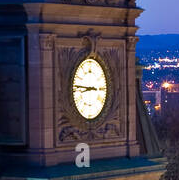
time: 8:46
